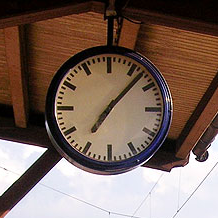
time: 7:07
